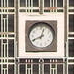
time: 12:41
